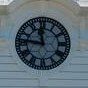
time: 11:46
